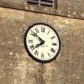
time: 7:51
